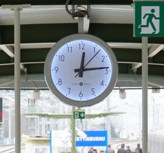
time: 12:13
